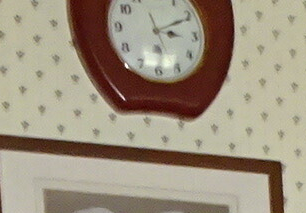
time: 3:10
